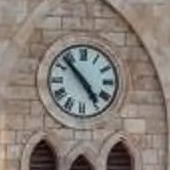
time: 4:52
